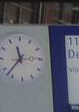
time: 11:37
